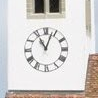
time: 11:03
